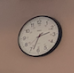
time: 2:33
